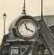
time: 11:19
